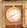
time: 8:09
